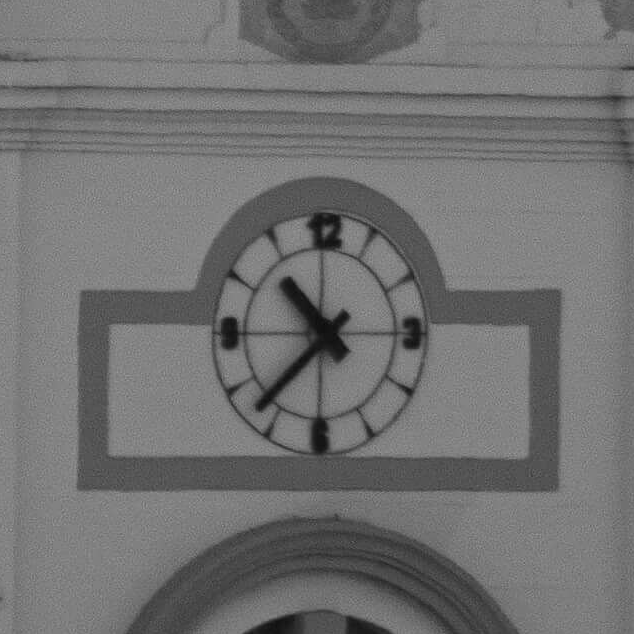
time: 10:37
